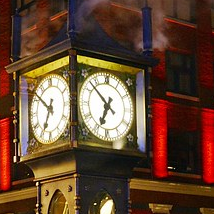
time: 6:52
